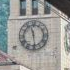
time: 11:28
